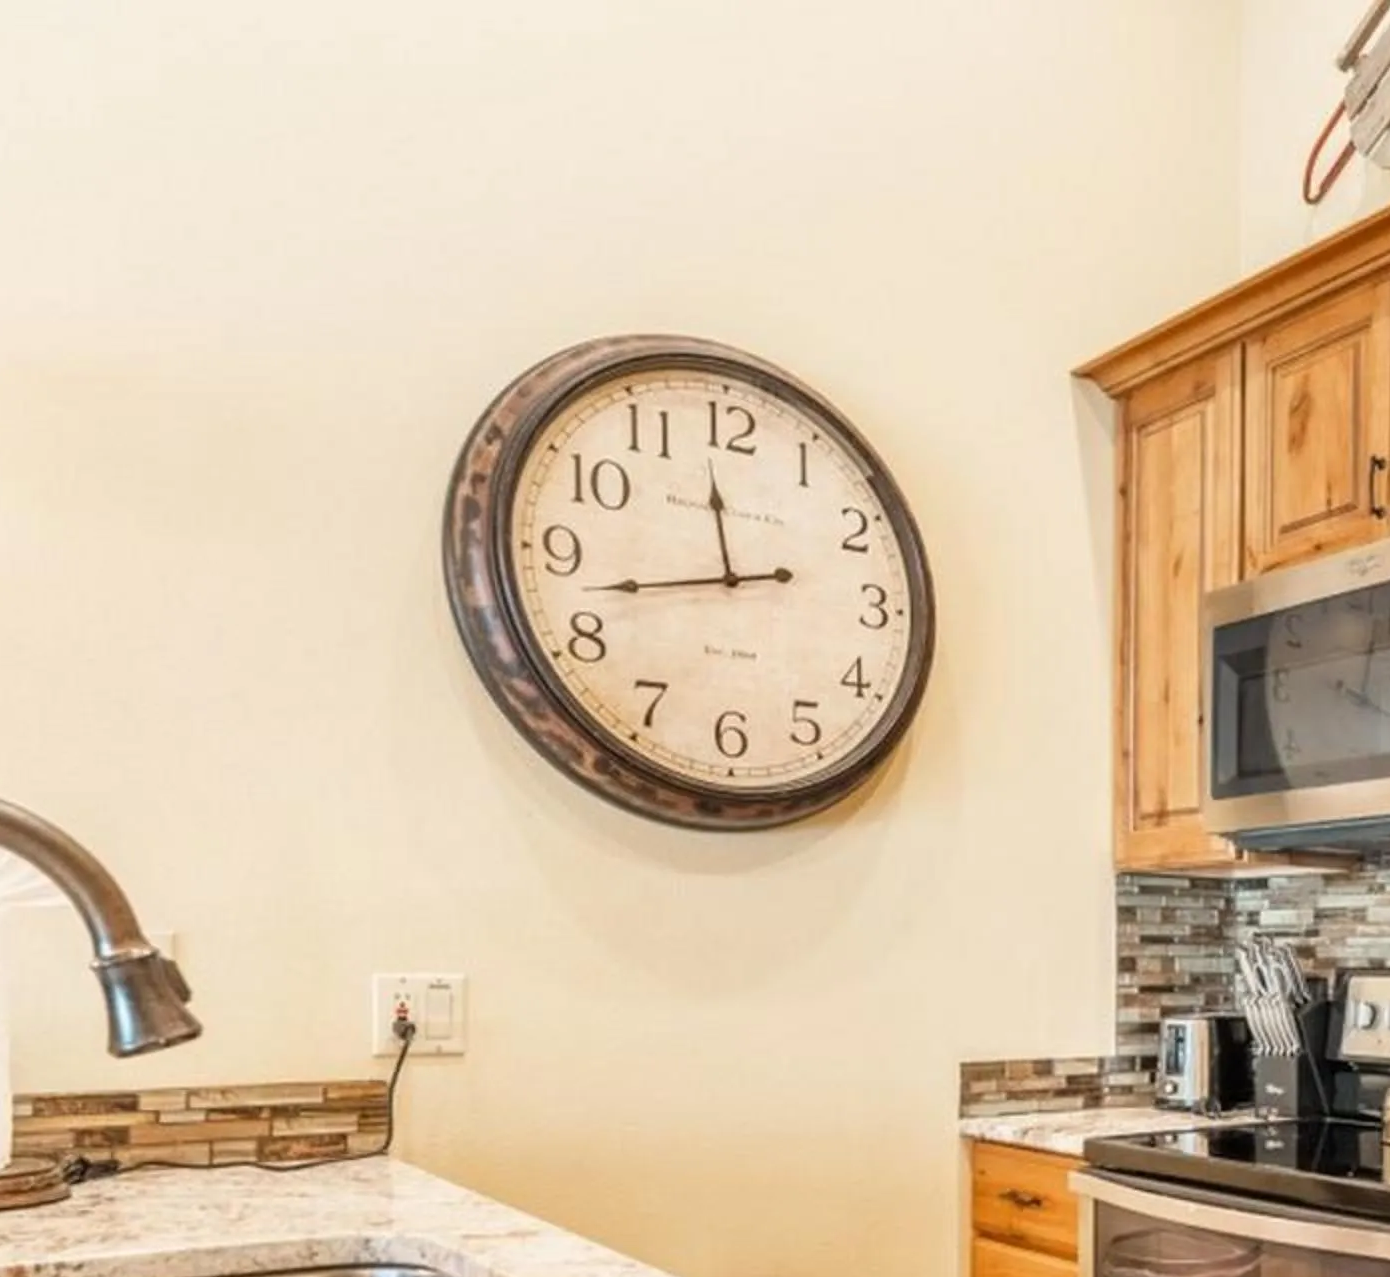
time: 11:42
